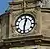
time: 12:30
